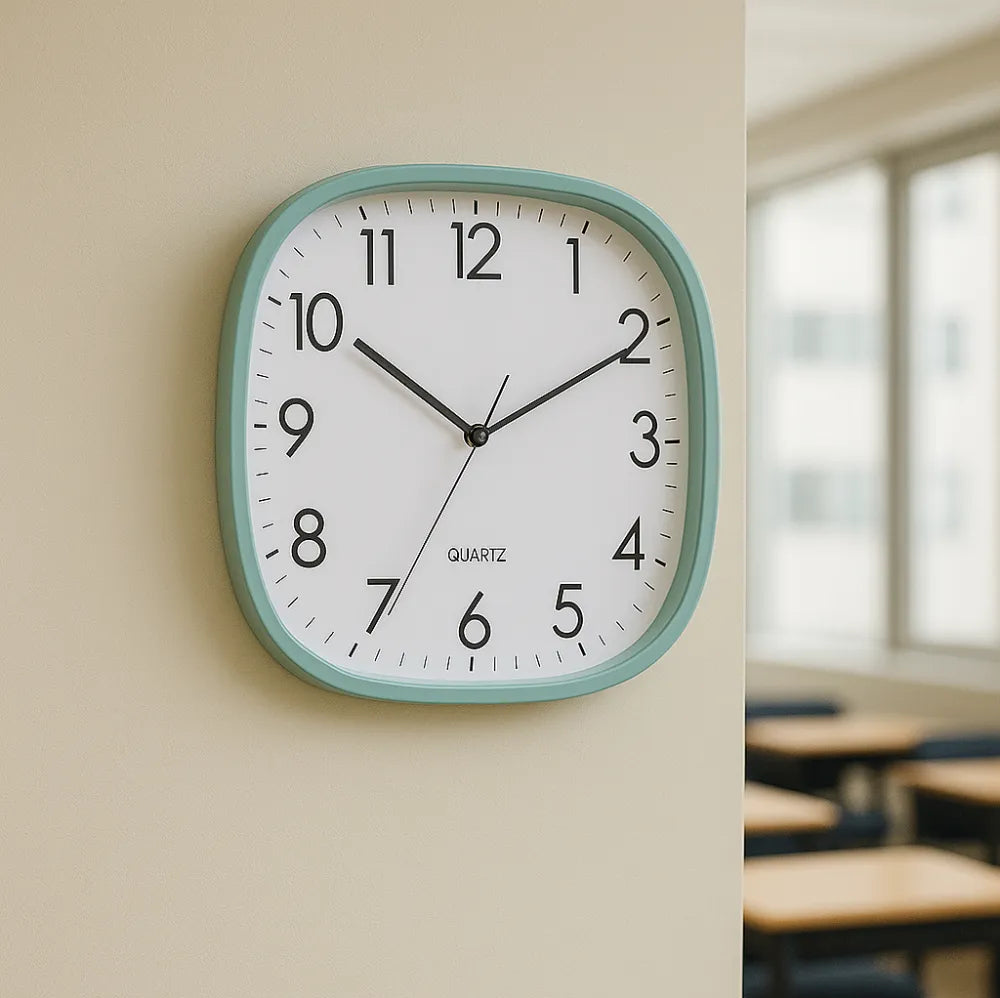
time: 10:10
